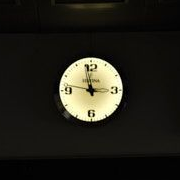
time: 11:46
